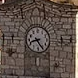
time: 8:24
